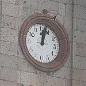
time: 12:02
